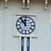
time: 11:53
